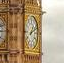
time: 1:11
